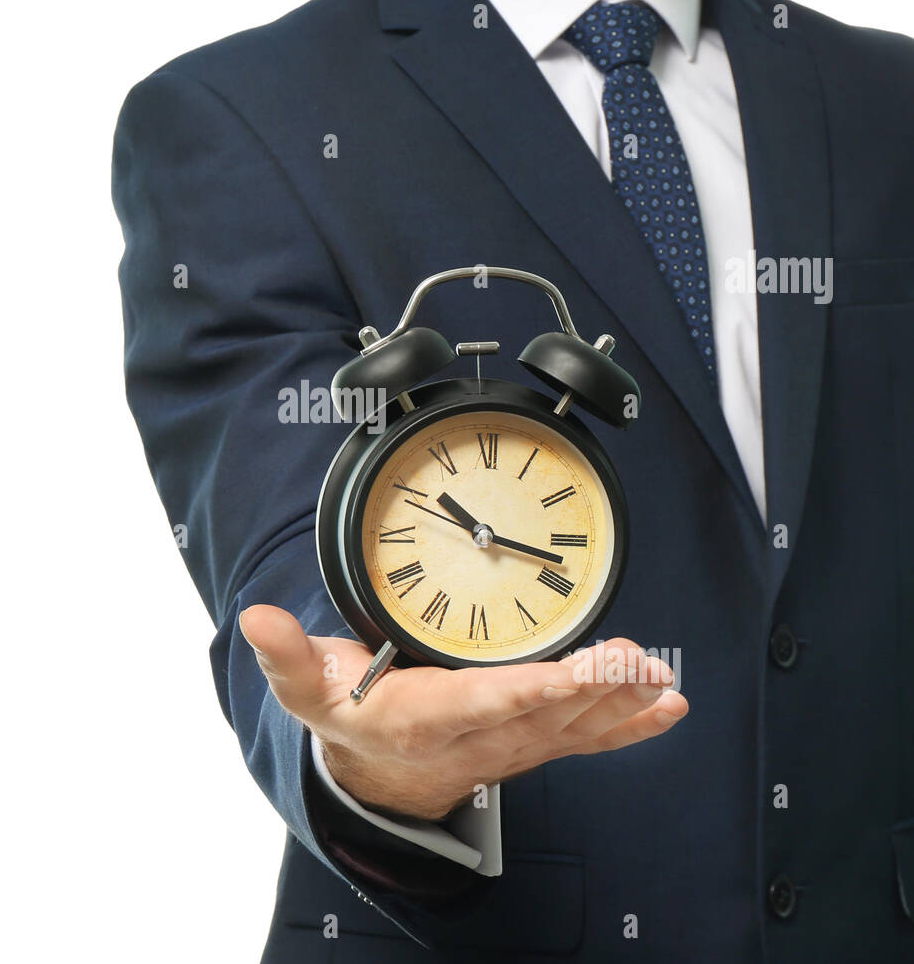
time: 10:17
